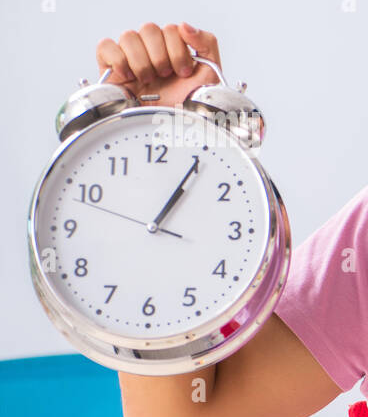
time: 1:05
